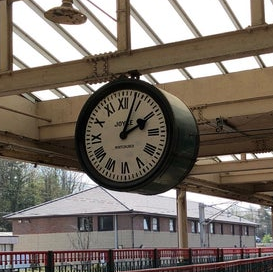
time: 2:03
